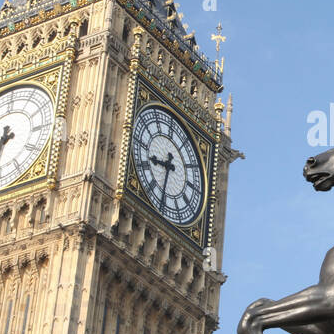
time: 8:32
